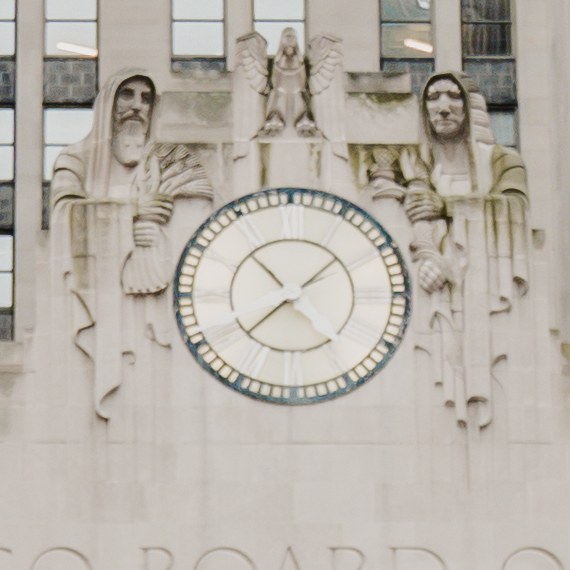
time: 4:38
